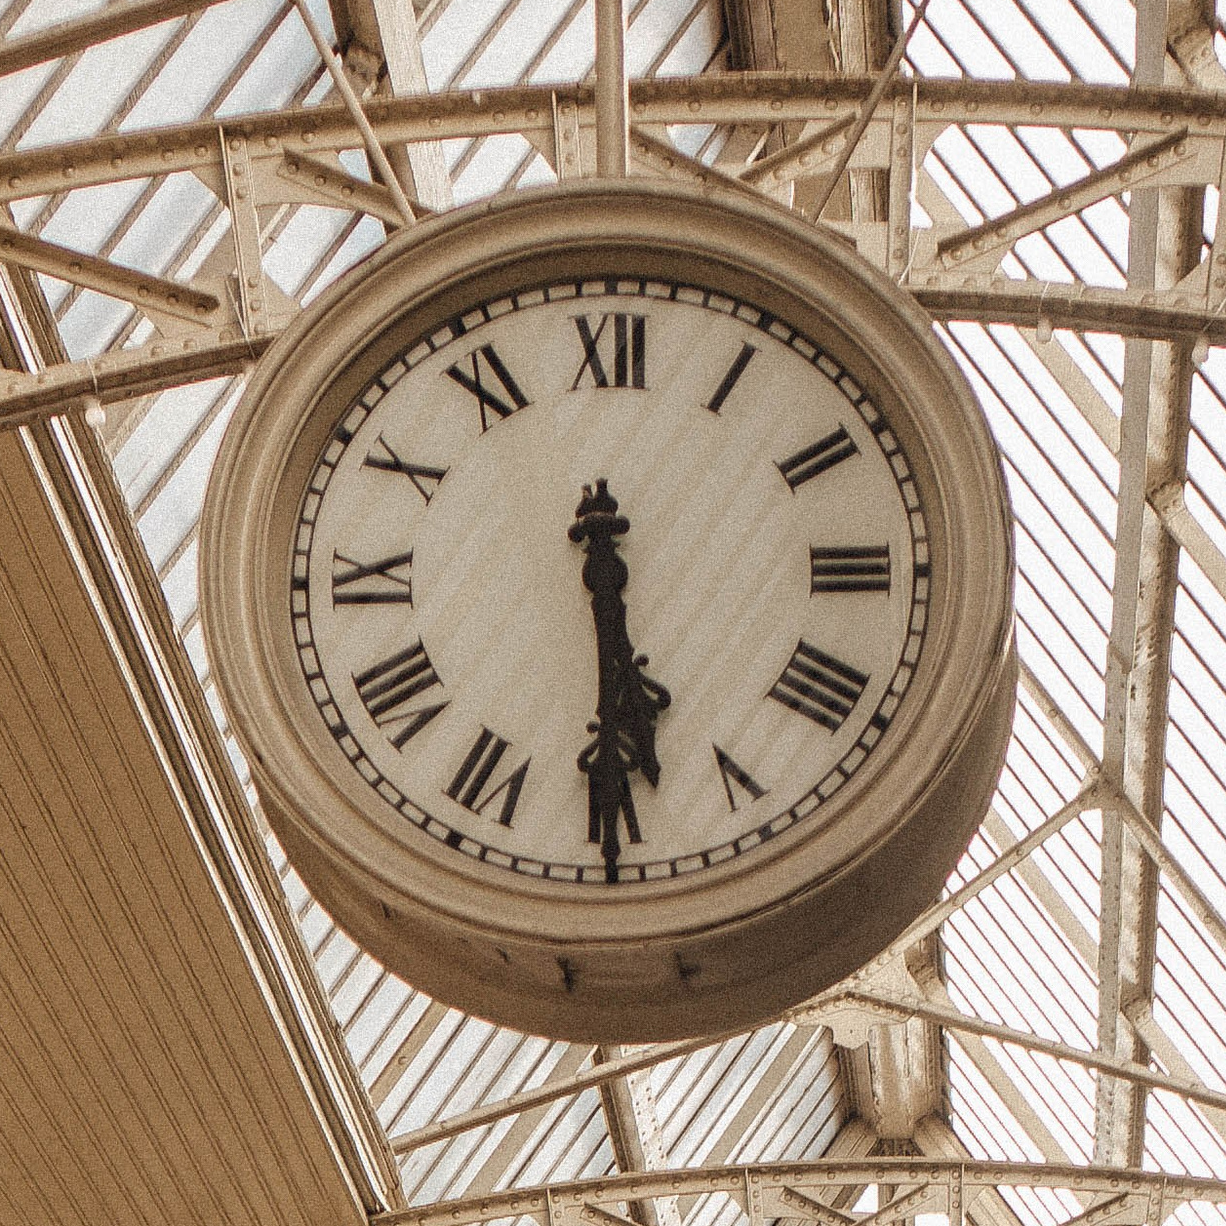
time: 5:29
